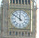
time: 11:51
